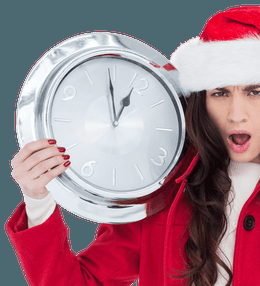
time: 12:59
